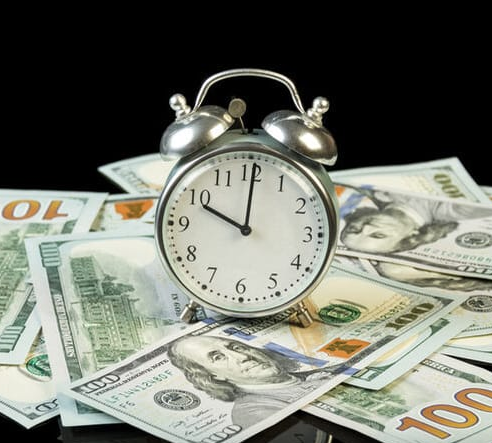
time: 10:00
